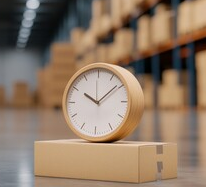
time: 10:08
